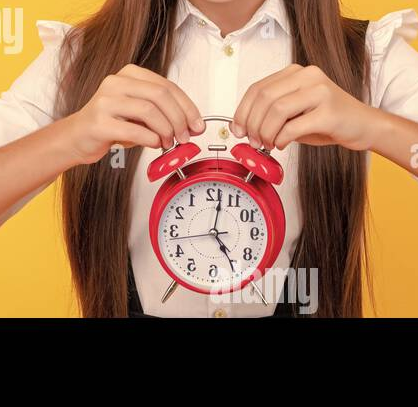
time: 5:01
